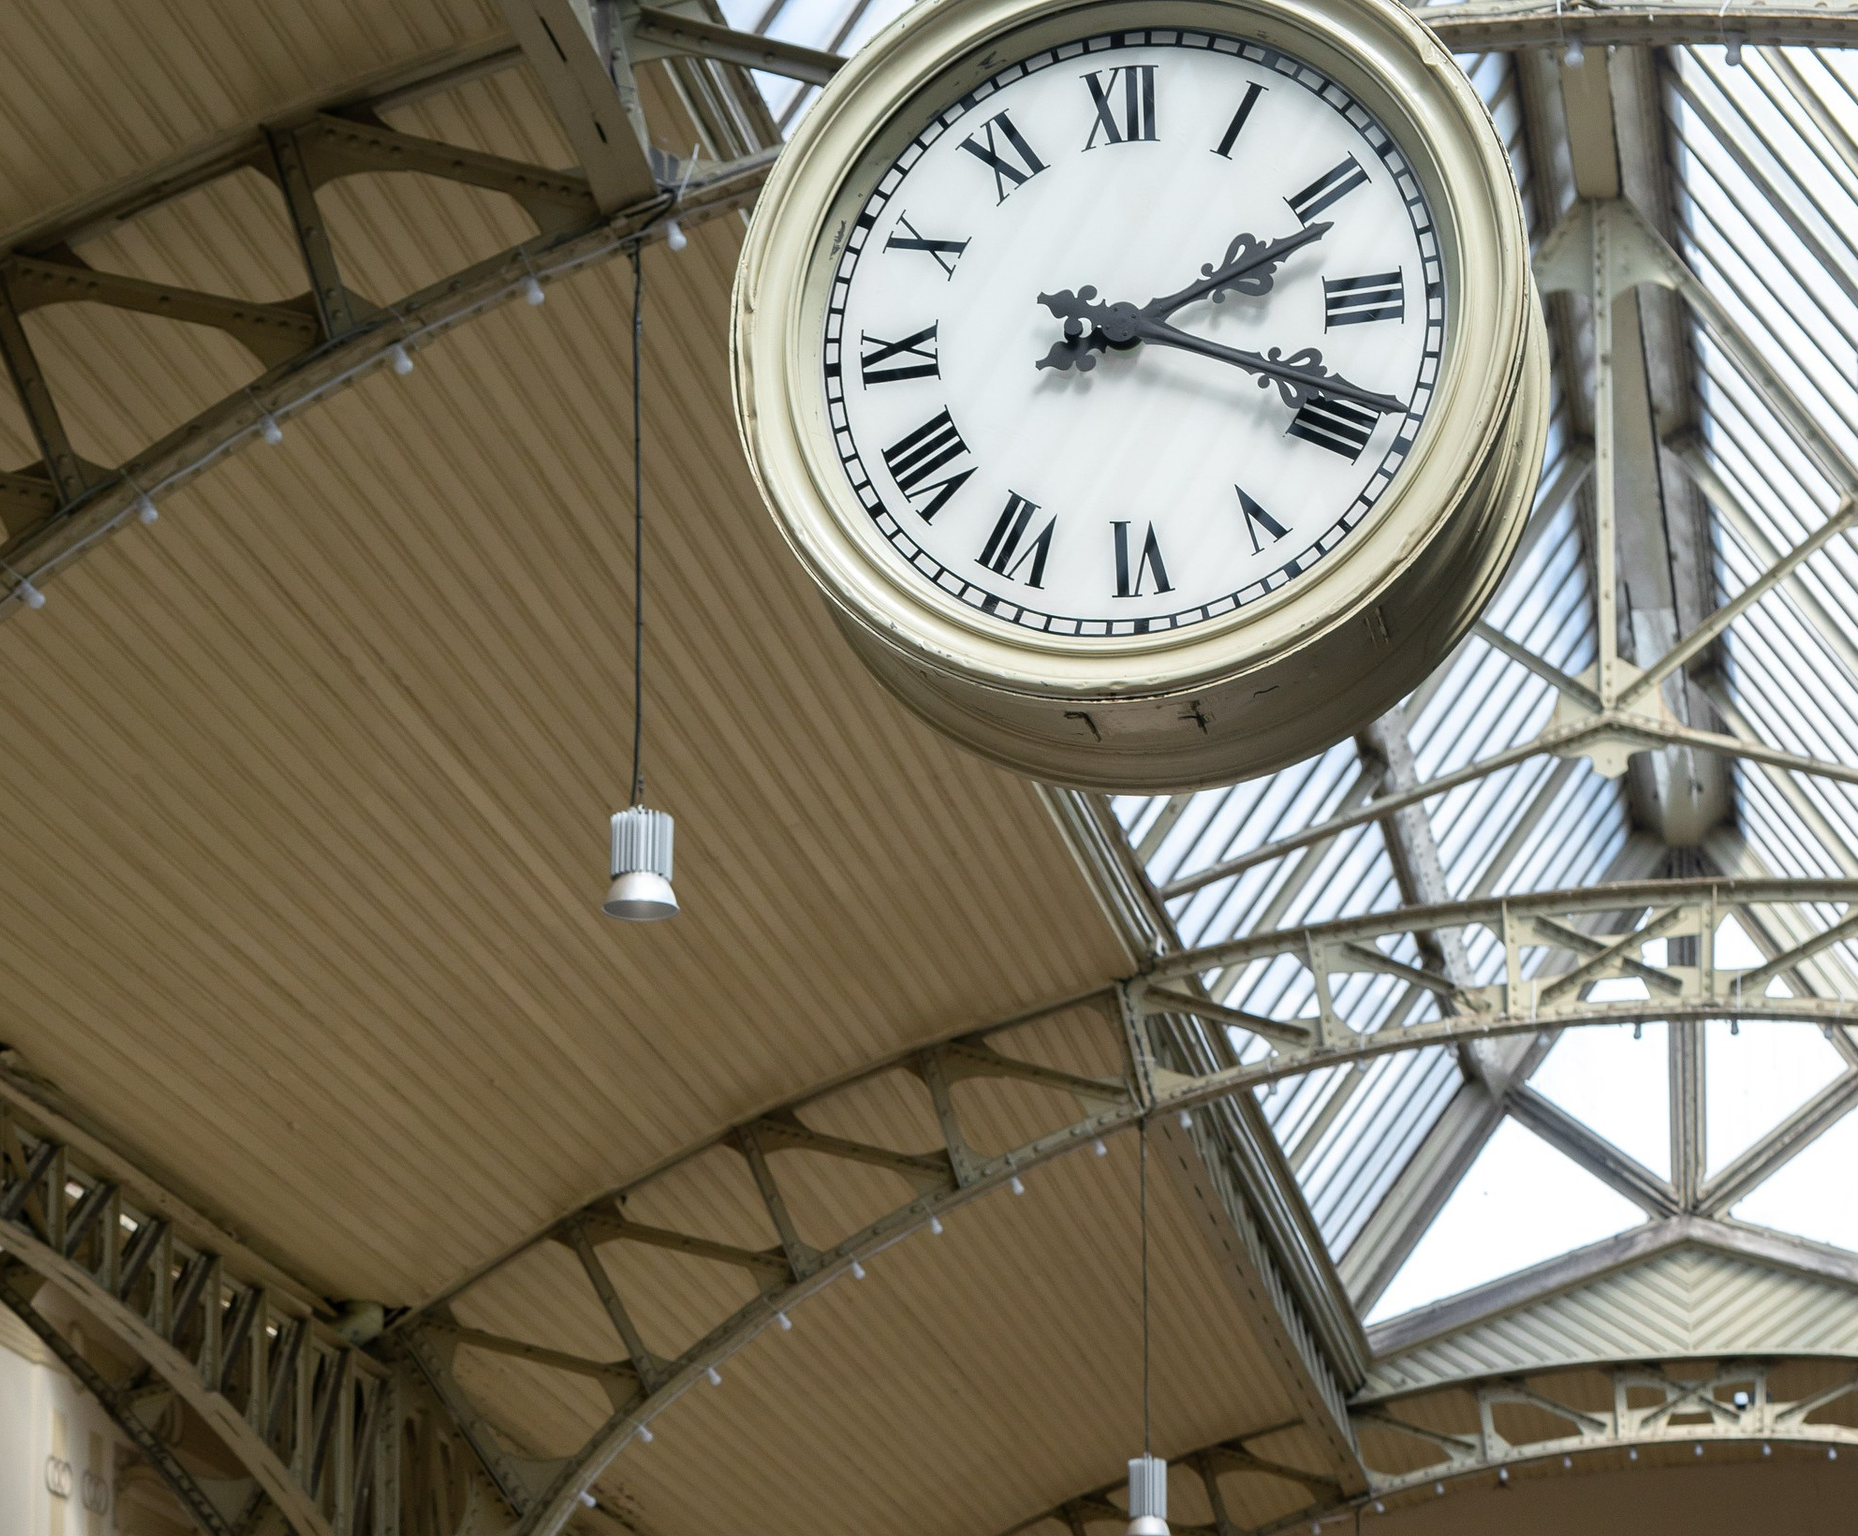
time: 2:18
